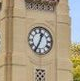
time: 12:34
